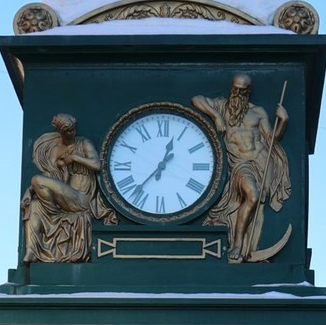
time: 12:36
